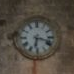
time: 6:17
